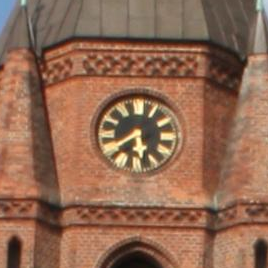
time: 5:38
